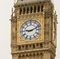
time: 9:11
